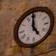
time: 4:59
